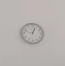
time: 12:47
